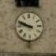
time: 9:48
